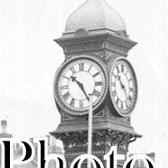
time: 10:24
